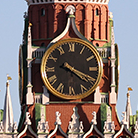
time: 4:18
